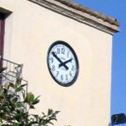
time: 1:49
